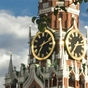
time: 2:35
